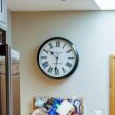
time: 10:31
